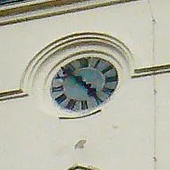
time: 4:52
